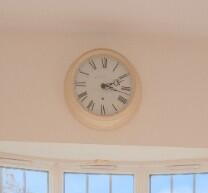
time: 2:17
